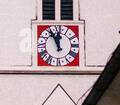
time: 11:55
